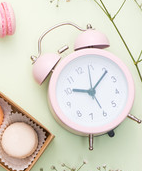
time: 9:06
